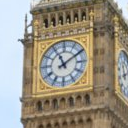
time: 11:09
